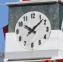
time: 10:07
